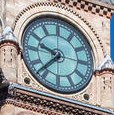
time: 9:37
